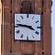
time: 3:46
